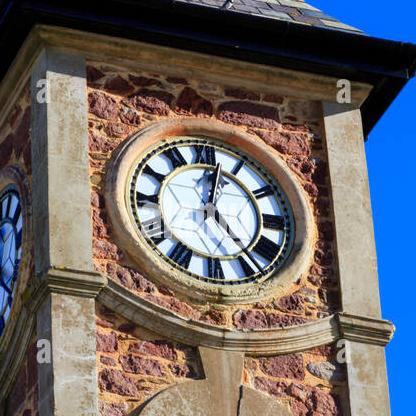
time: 12:23
